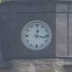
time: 12:16
